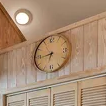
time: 6:43
